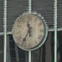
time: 11:35
